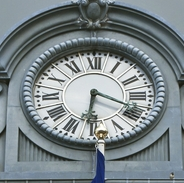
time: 6:18
